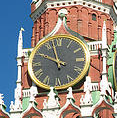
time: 9:57
